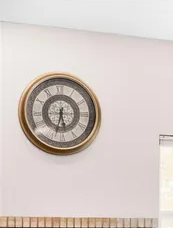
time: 5:33
